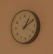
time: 1:10
